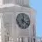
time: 12:19
